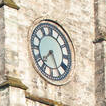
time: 7:25
